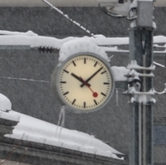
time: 10:07
